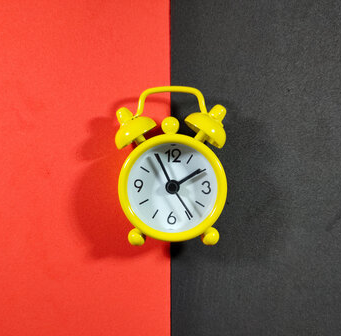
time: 1:55
